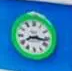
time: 8:16
